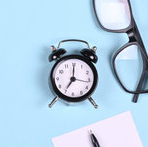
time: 7:00
